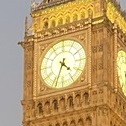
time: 4:33
